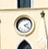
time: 2:21
